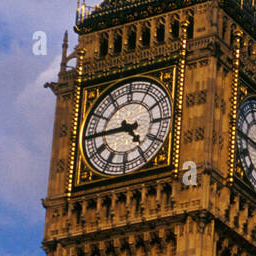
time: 4:44
